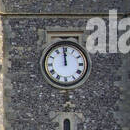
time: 11:59
